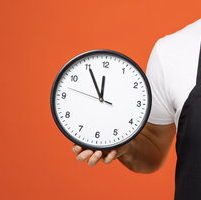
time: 11:55
